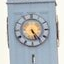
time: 5:23
